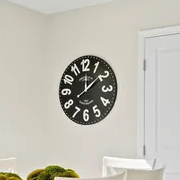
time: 12:08
